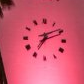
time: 7:11
